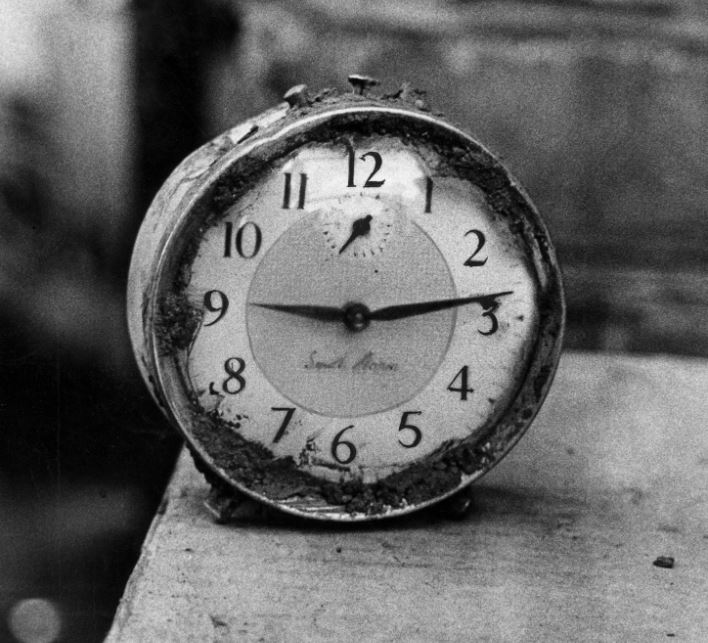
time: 9:13
